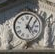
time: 5:04
